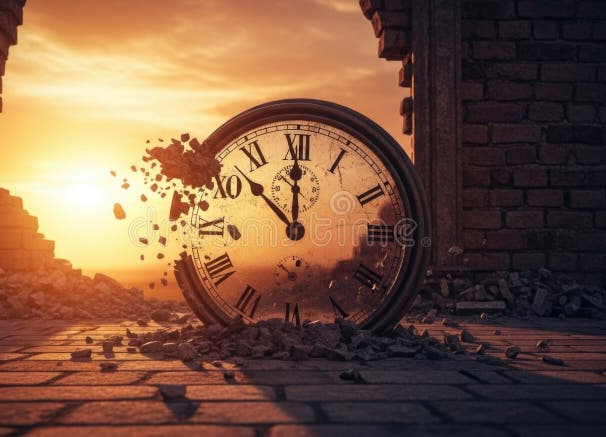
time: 11:52
